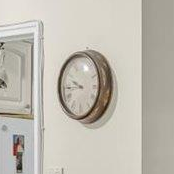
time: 9:43
